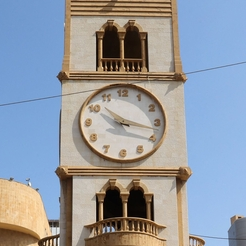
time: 10:17
